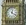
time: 12:21
